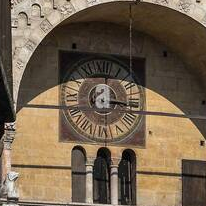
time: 12:16
